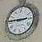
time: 2:45
